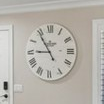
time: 8:54
